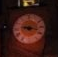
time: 9:17
